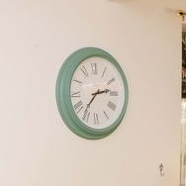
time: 2:36
